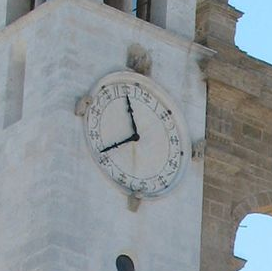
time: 11:41
